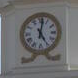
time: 5:01
